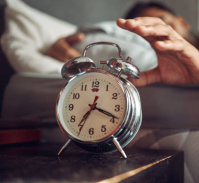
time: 7:18
